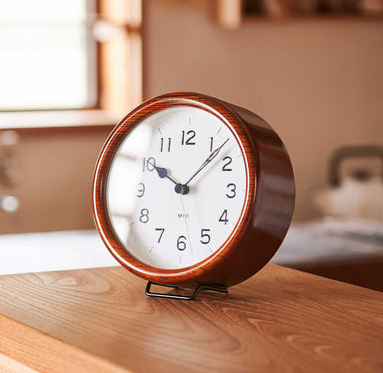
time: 10:07
